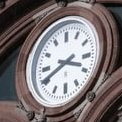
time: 3:40
